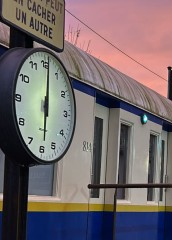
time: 6:00
